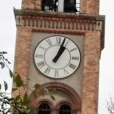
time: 1:03
